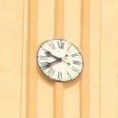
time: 9:39
